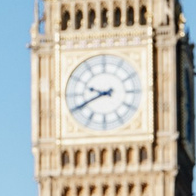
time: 9:40
